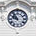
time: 9:53
